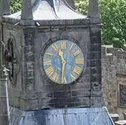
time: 11:31
